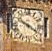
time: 3:48
